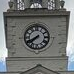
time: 7:40
